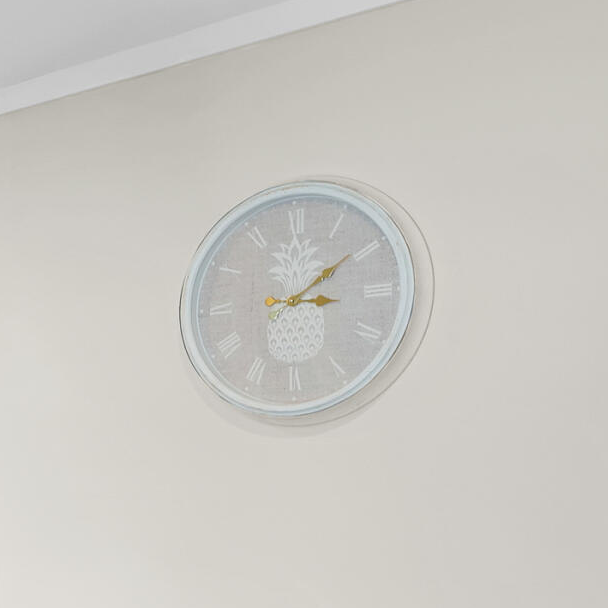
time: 3:09
